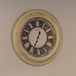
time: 12:33
